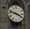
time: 3:47
